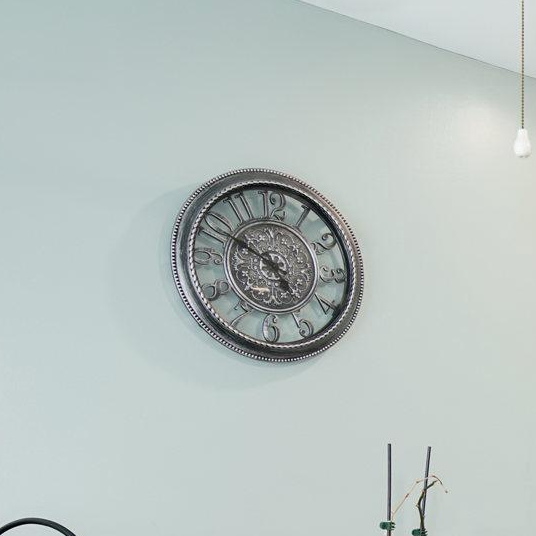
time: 4:49
